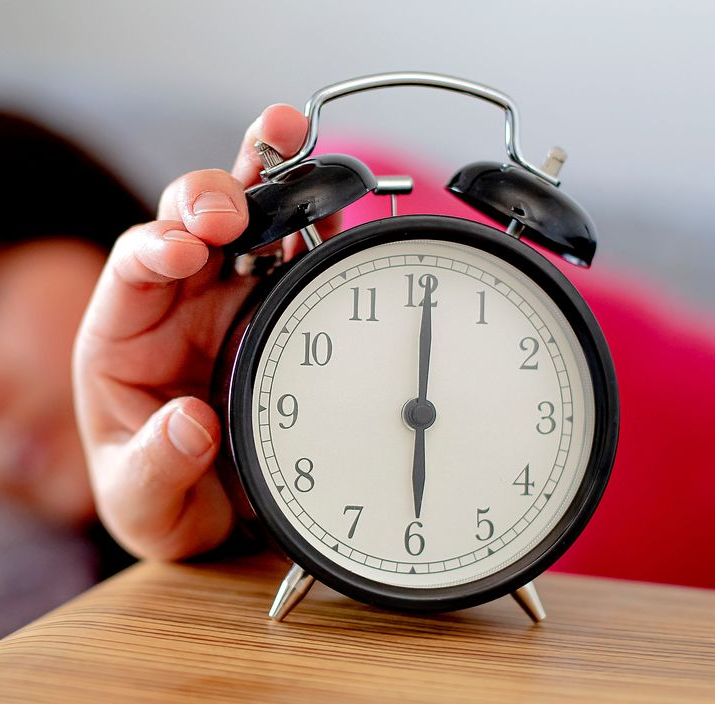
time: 6:00
